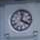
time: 4:02
